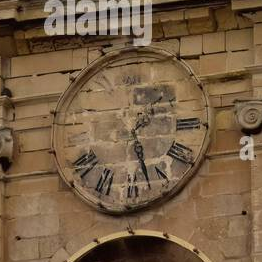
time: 1:27
